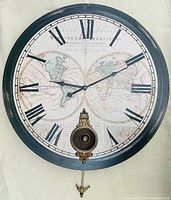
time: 9:10
